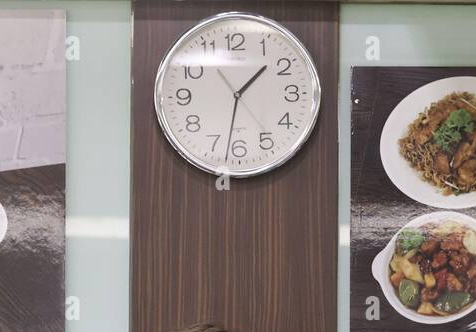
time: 1:32
